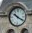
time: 10:20
